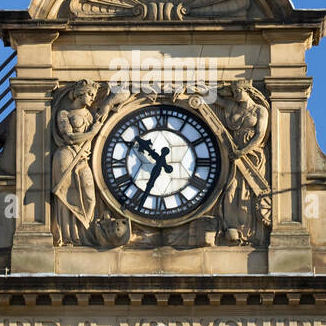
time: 10:34
